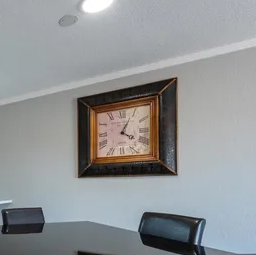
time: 4:04
